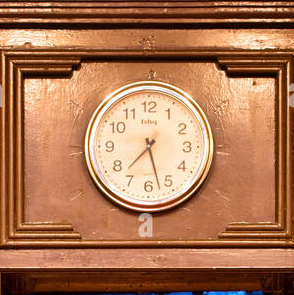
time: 7:27
